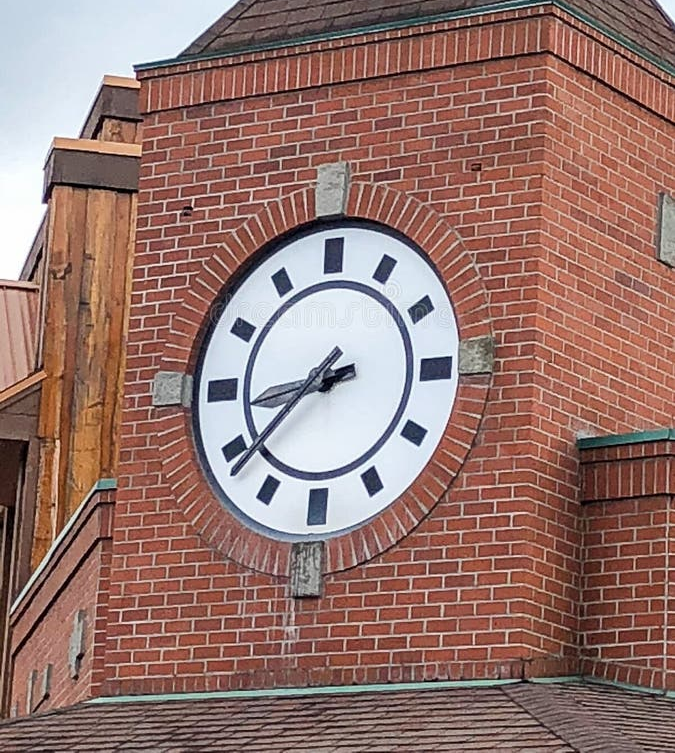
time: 8:38
